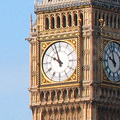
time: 9:56
